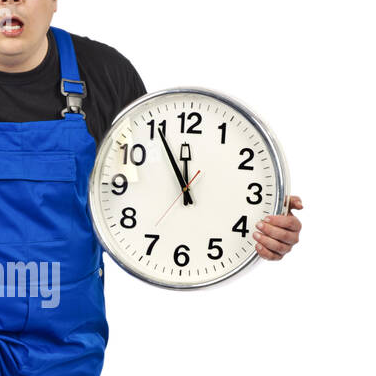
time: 11:55
